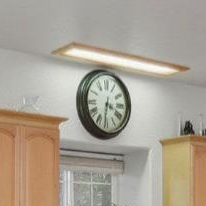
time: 3:31
